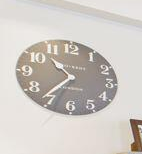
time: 10:36
